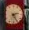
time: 2:25
